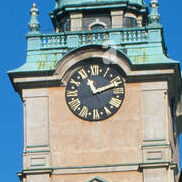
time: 11:11
